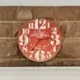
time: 2:36
